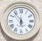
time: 5:53
